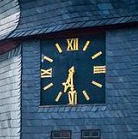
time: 6:29
